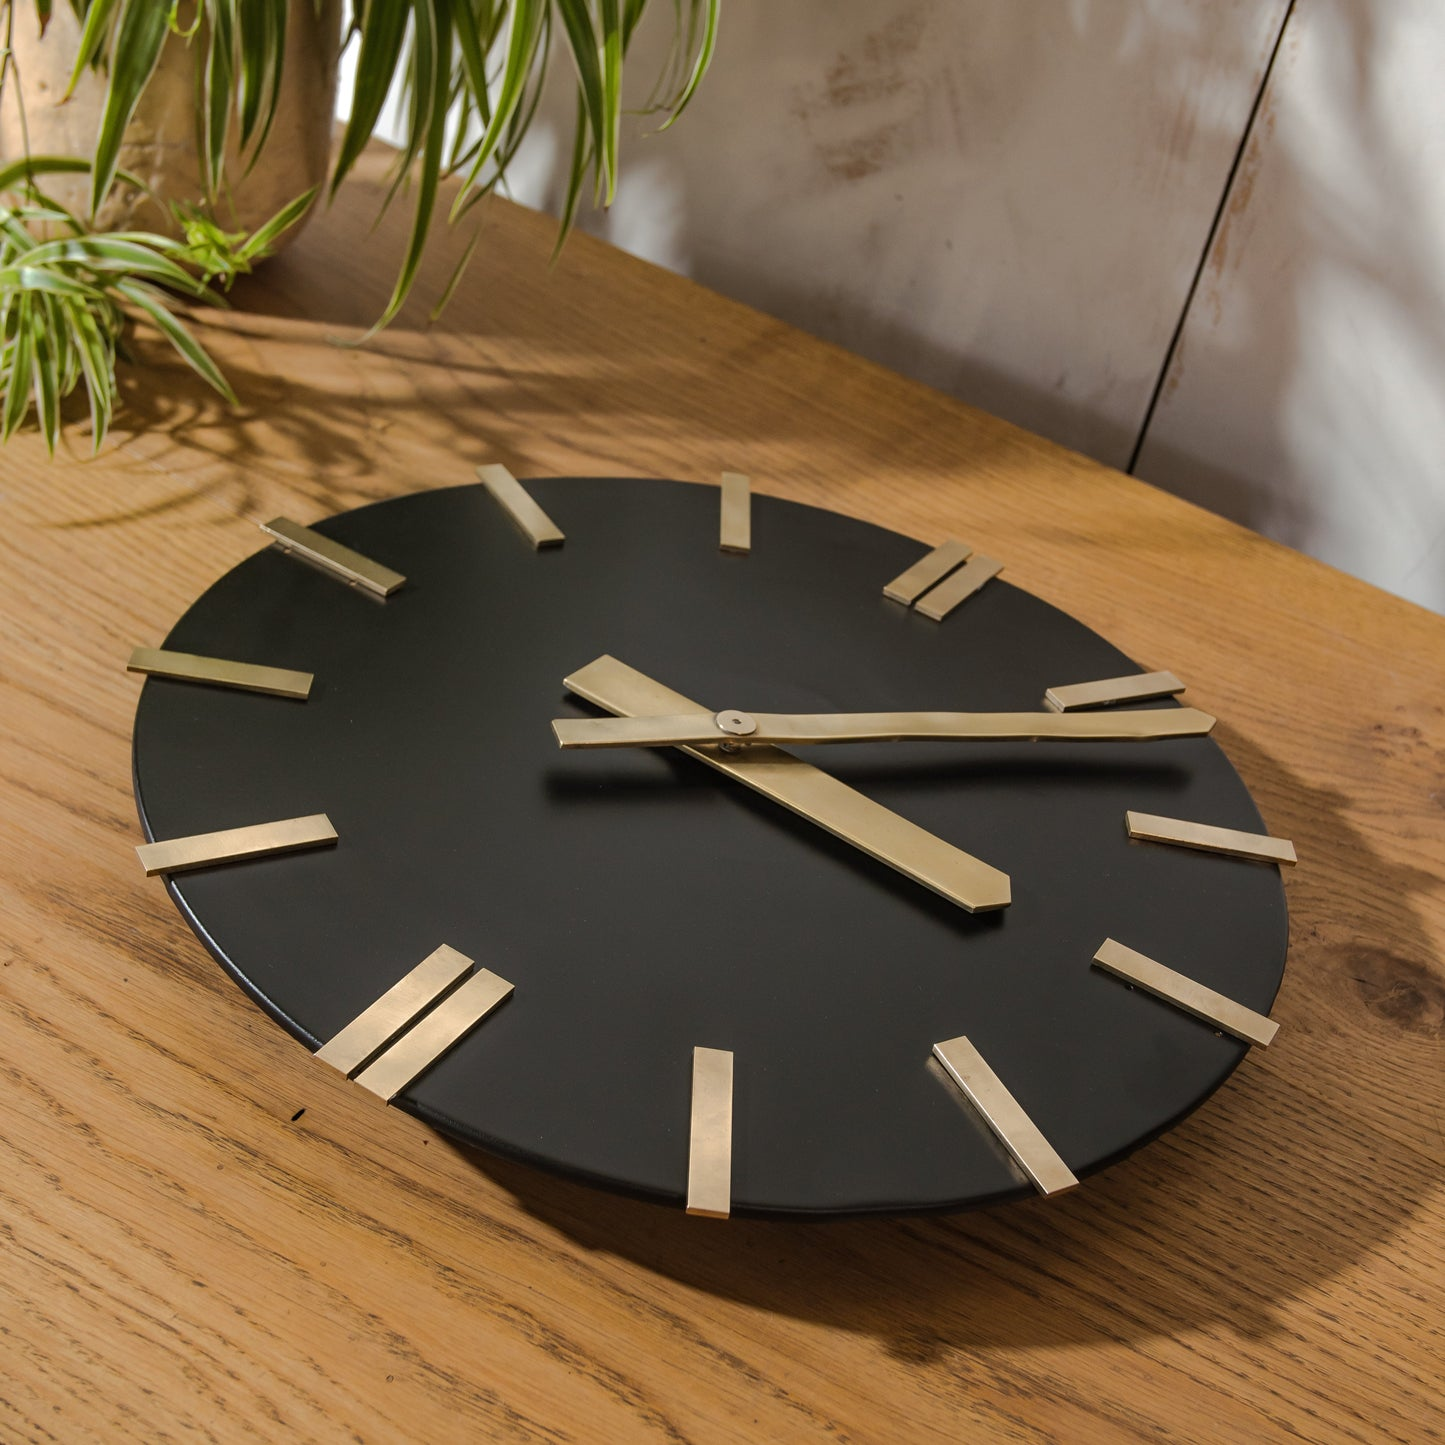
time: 4:12
